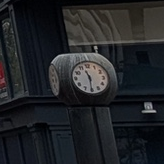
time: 11:30
